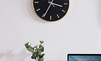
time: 3:34
